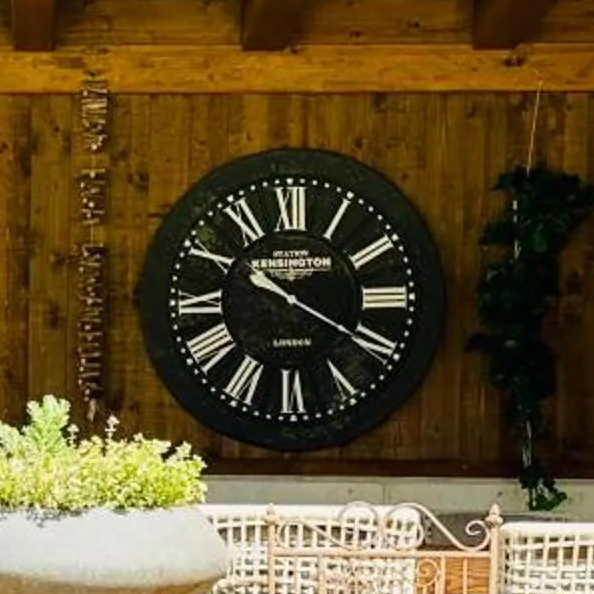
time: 10:20
